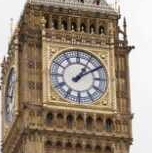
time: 1:09
